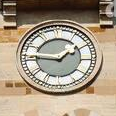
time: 1:46
